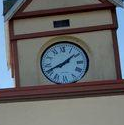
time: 1:41
